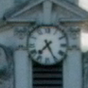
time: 7:25
